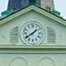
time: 1:39
